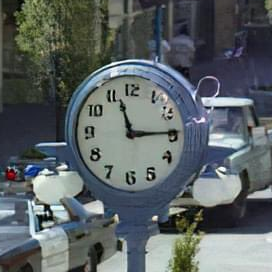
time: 11:14
